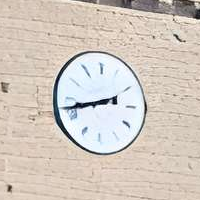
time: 8:42
